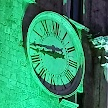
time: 2:44
